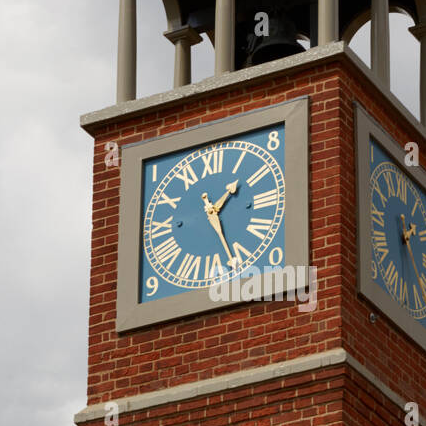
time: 1:26
